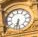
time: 6:32
